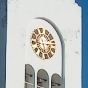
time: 6:14
